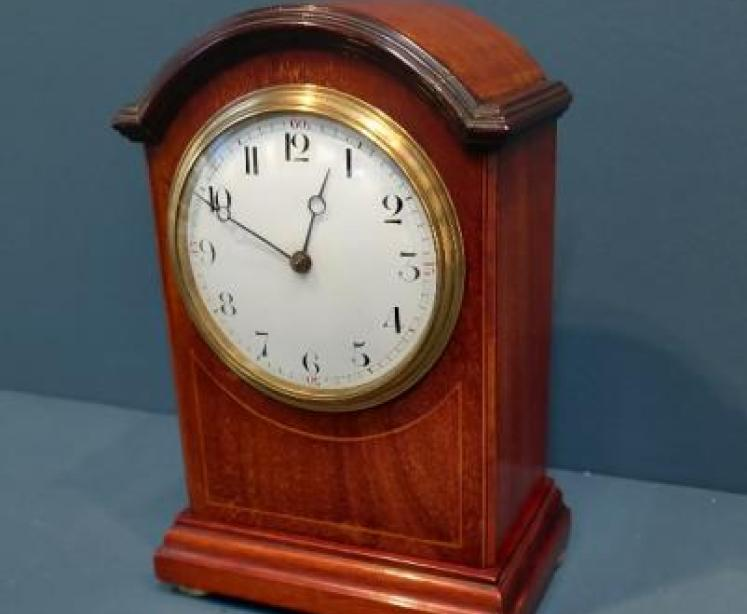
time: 12:49
